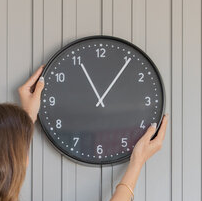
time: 11:05
